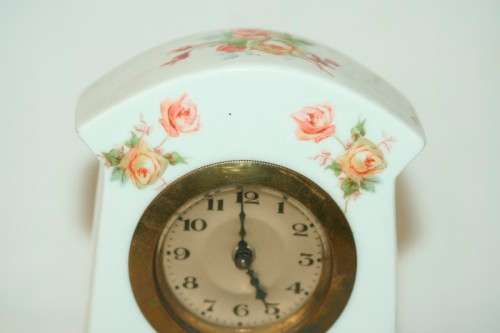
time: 4:59
